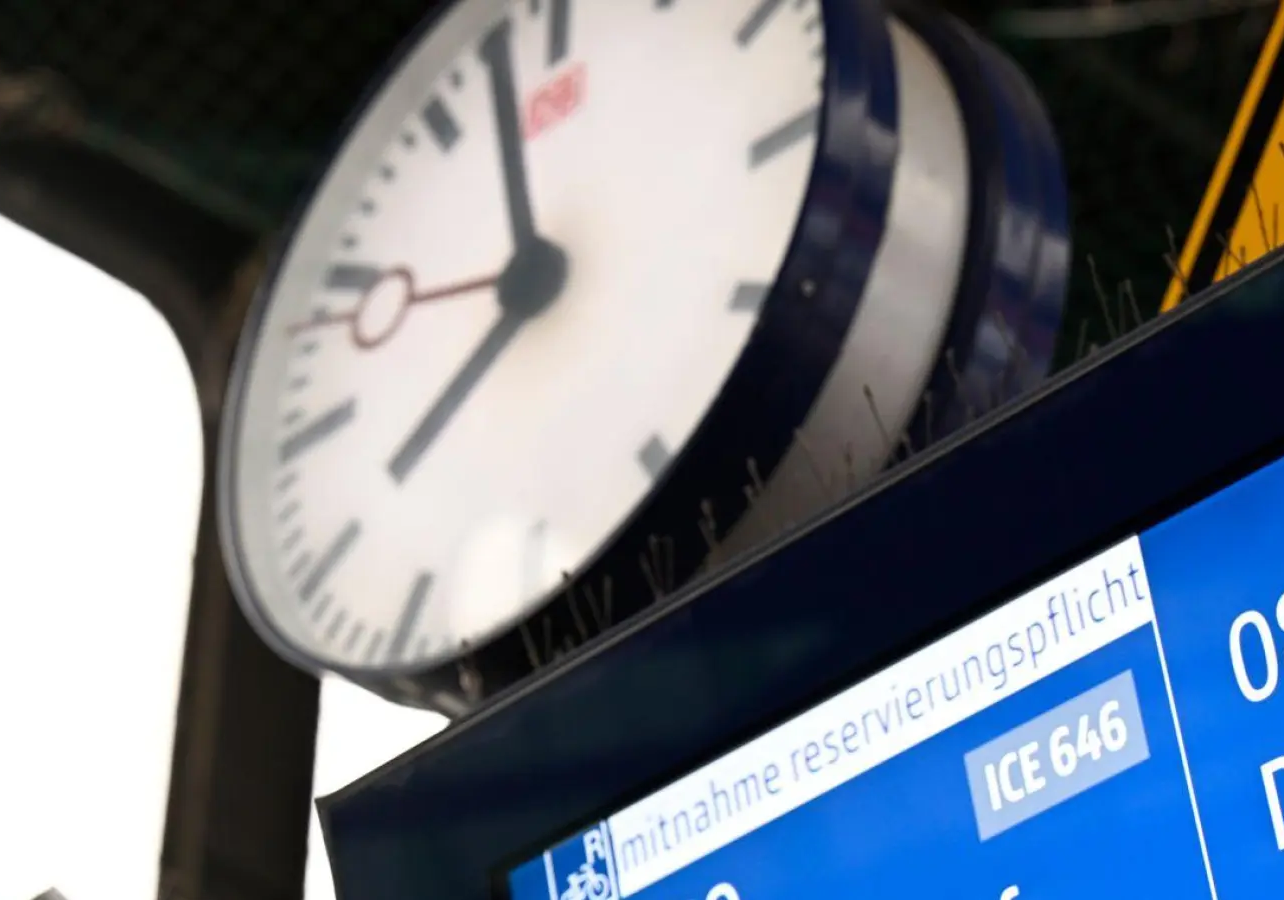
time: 7:57
